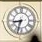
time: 8:32
